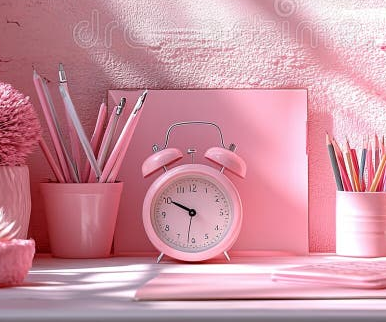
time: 9:50
